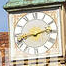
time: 8:12
